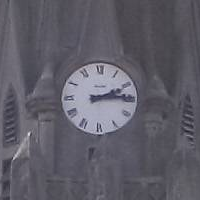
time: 2:14
